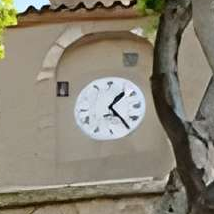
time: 1:24
